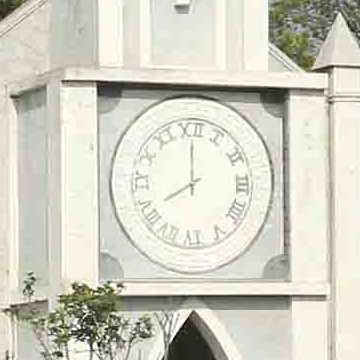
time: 7:59
